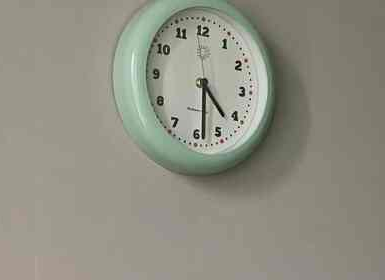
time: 4:28
